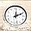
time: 12:11
